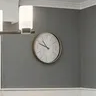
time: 10:48
